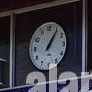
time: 1:05
